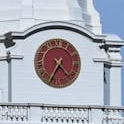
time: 4:35
